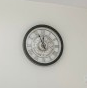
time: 11:56
